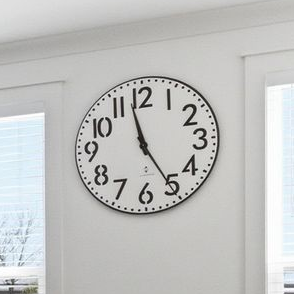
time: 4:57
